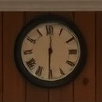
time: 6:00
